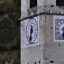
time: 6:32
